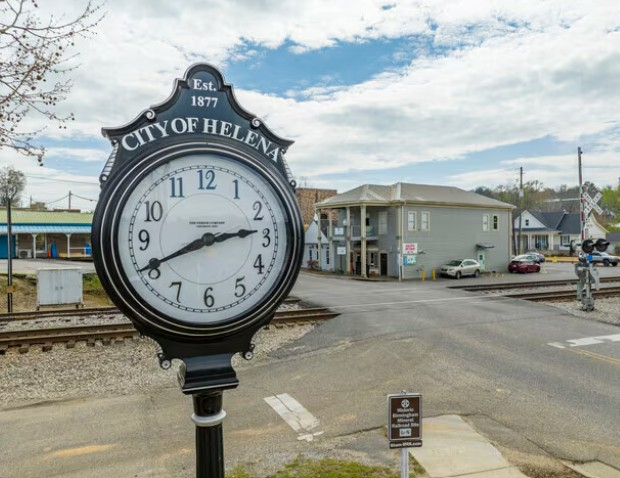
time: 2:40
